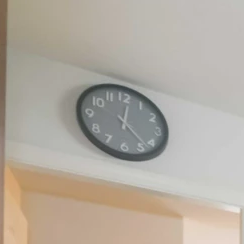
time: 12:22
